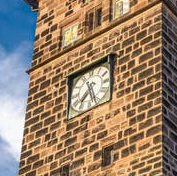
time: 7:27
